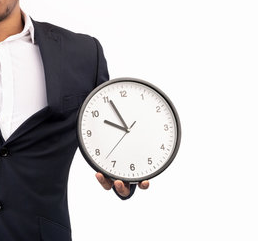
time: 9:55
